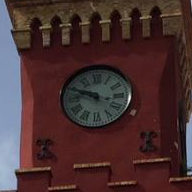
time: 9:48
